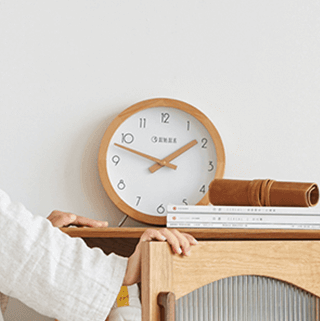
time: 1:47
